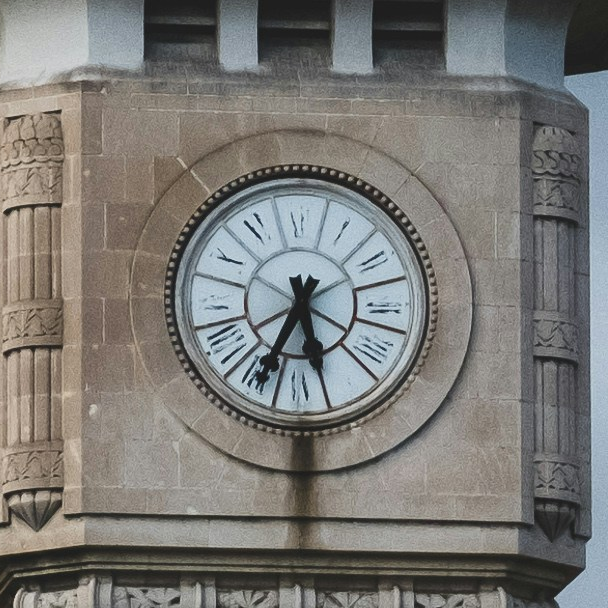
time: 5:34
